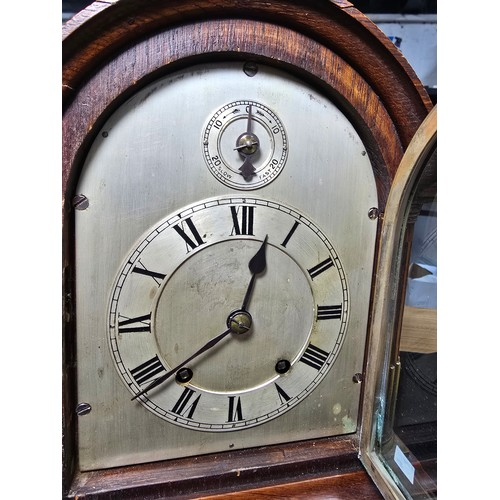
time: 12:38
